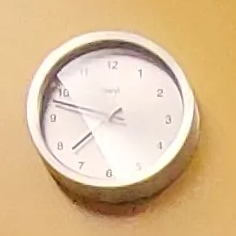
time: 7:47
